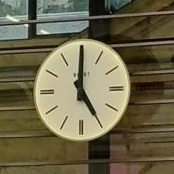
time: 5:00
